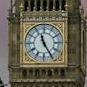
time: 11:25
